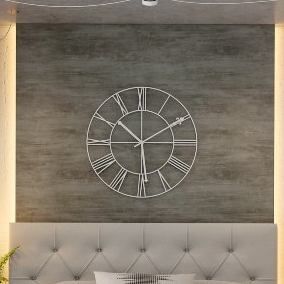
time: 10:29
